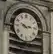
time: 2:48
